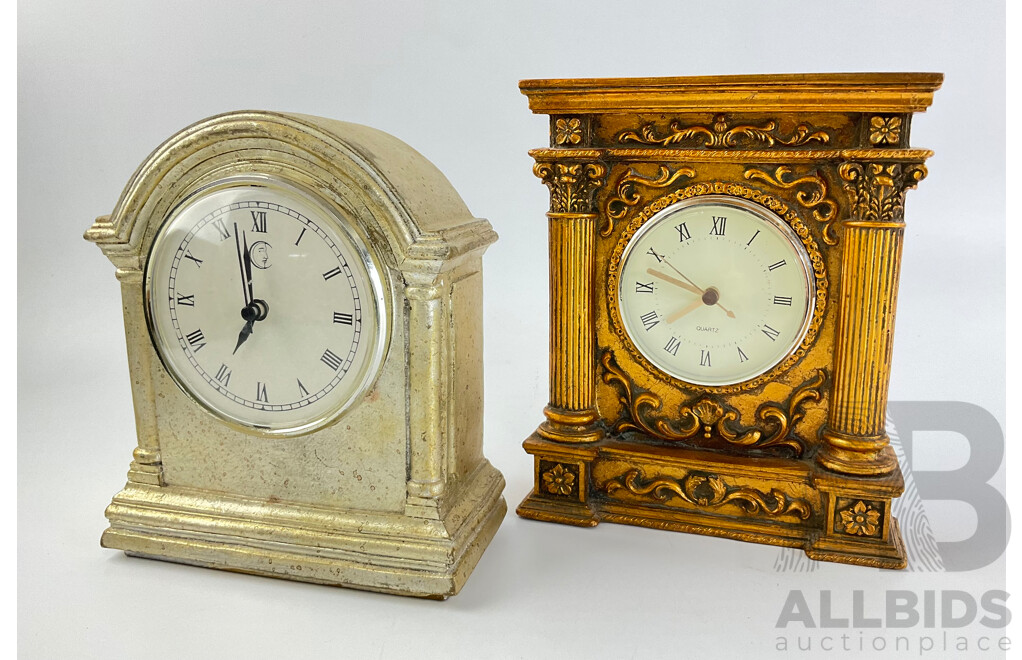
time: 6:58
